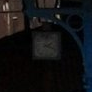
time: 2:18
